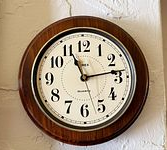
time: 11:13
